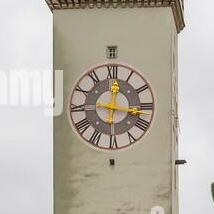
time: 12:16
